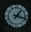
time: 1:18
